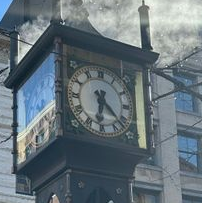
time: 6:22
